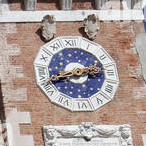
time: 2:40
